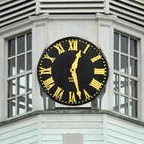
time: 12:27
